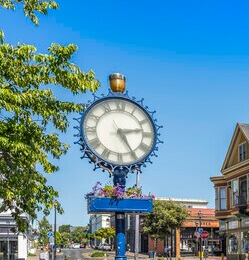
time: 2:24
